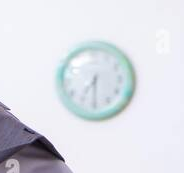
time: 7:30
